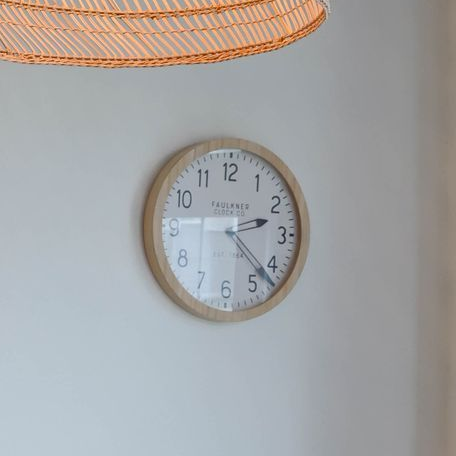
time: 2:22
